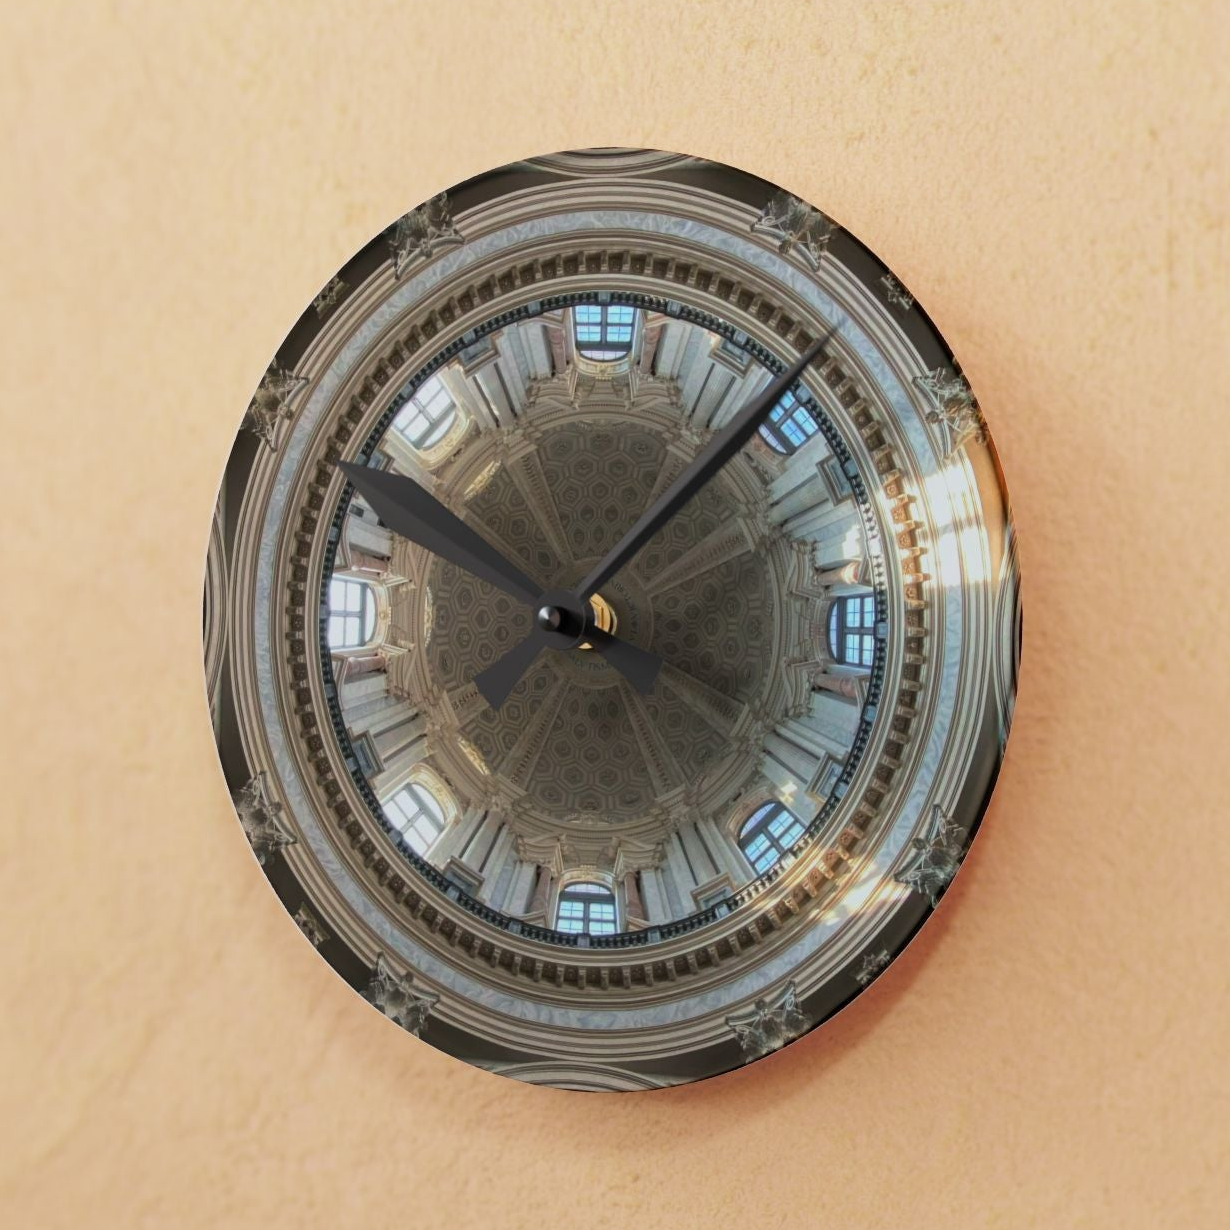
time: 10:07
